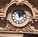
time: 12:07
